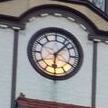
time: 6:07
